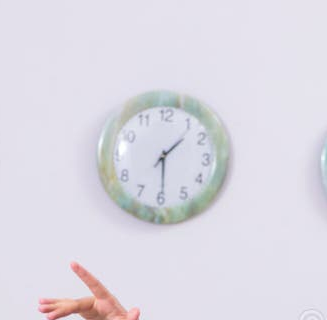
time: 1:29
